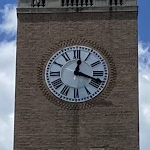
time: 12:18
